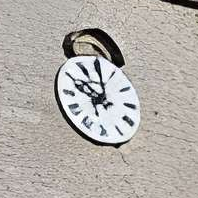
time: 10:00
